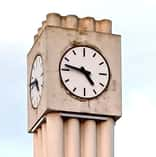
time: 4:47
